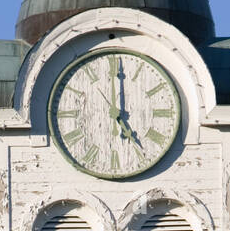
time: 5:00
